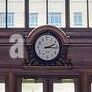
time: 2:15
